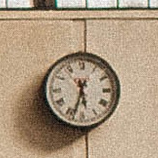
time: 5:32
